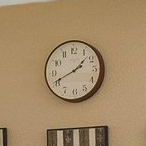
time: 1:41
